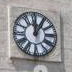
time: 12:05
